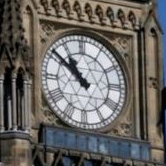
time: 10:51
